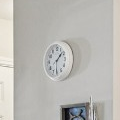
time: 1:30
